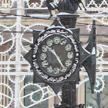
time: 10:24
